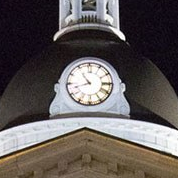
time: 10:42
